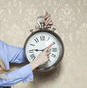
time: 9:10
